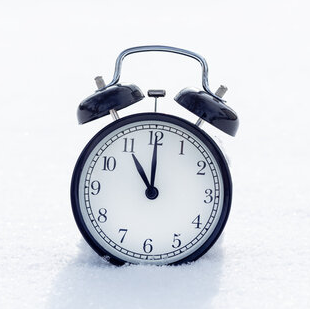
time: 11:00
